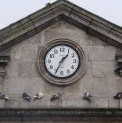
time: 1:34
